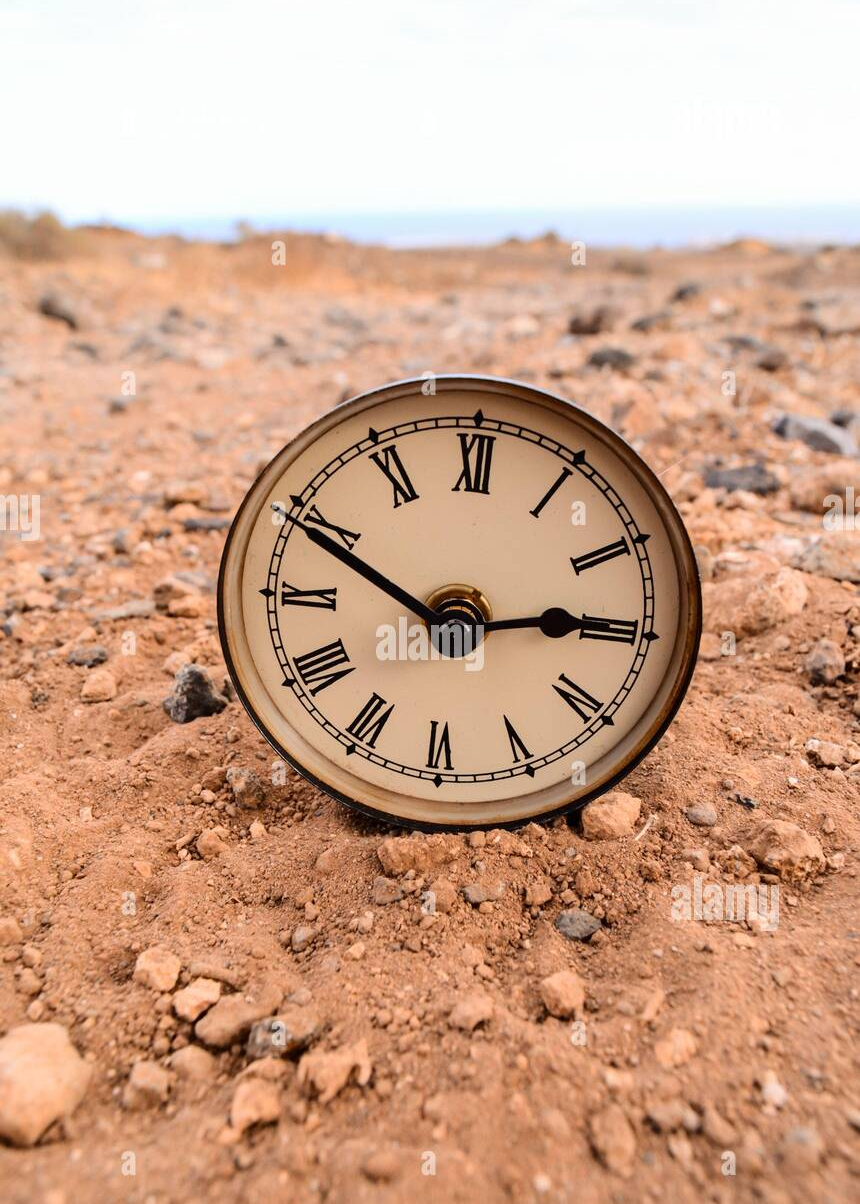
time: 2:49
